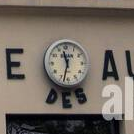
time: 11:32
